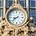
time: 8:38
